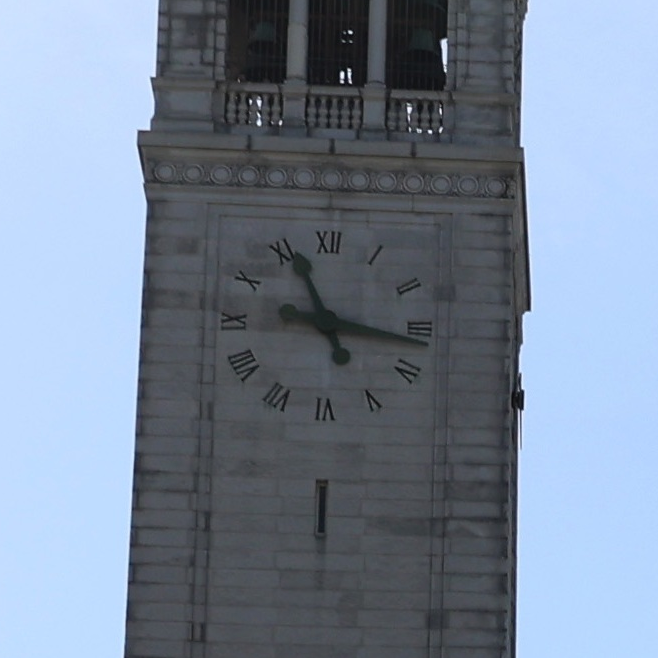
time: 11:16
